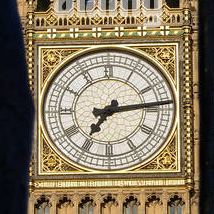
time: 7:13
